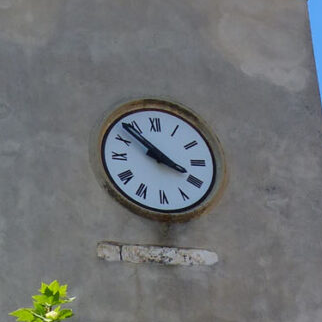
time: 3:52
